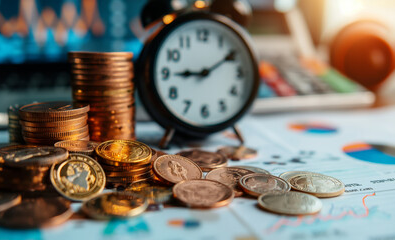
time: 9:09
